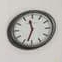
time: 11:32
